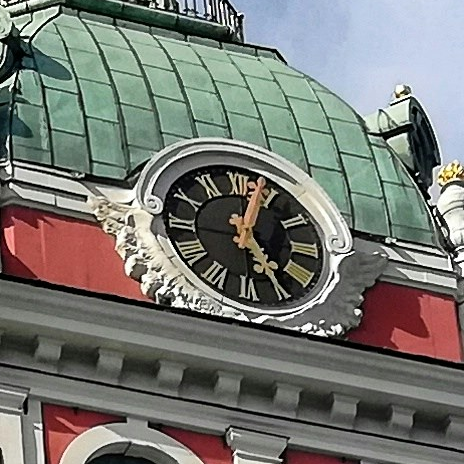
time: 5:03
